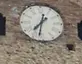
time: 7:32
